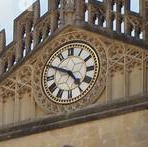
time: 4:49
